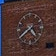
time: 4:39
